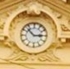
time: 2:53
